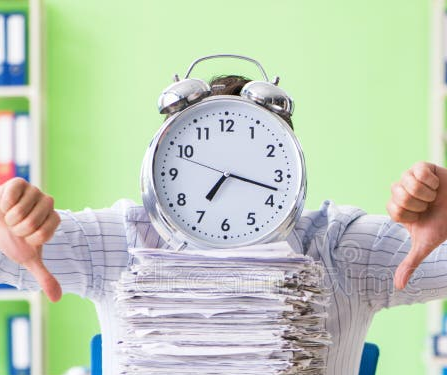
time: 7:17
